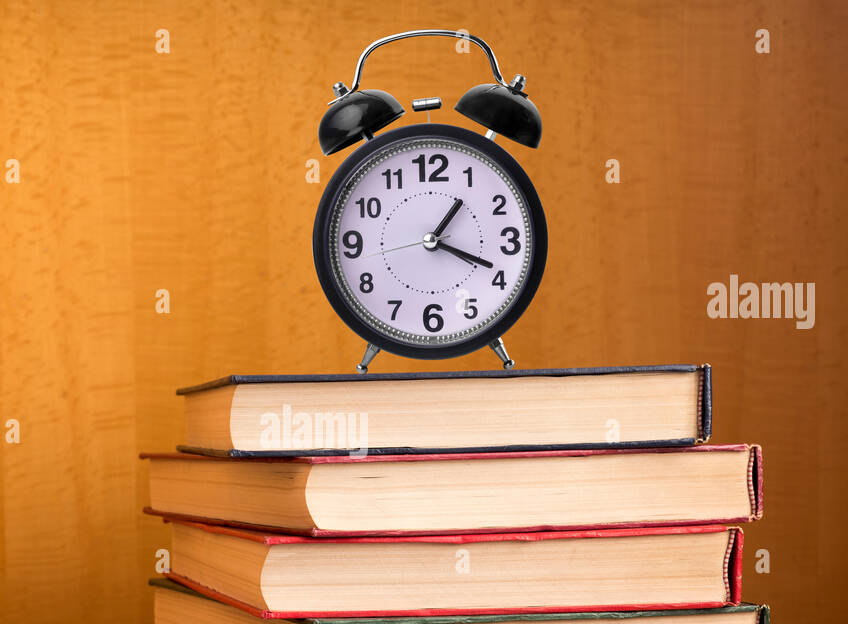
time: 1:18
